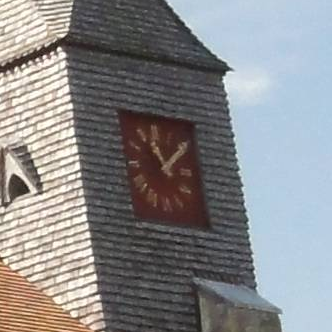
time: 11:07
